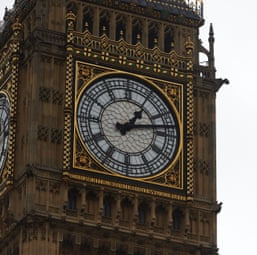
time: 1:12
